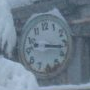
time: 3:16
